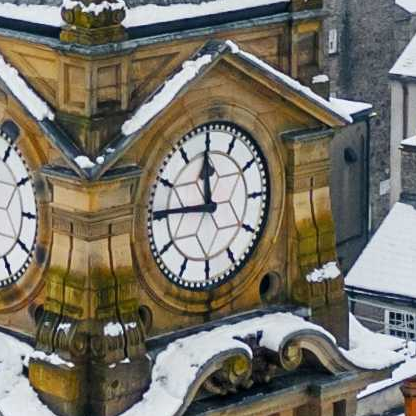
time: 11:45
